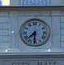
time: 7:30
